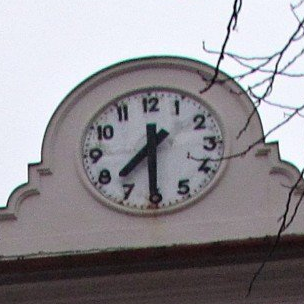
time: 7:30
